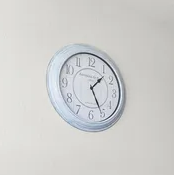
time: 1:25
